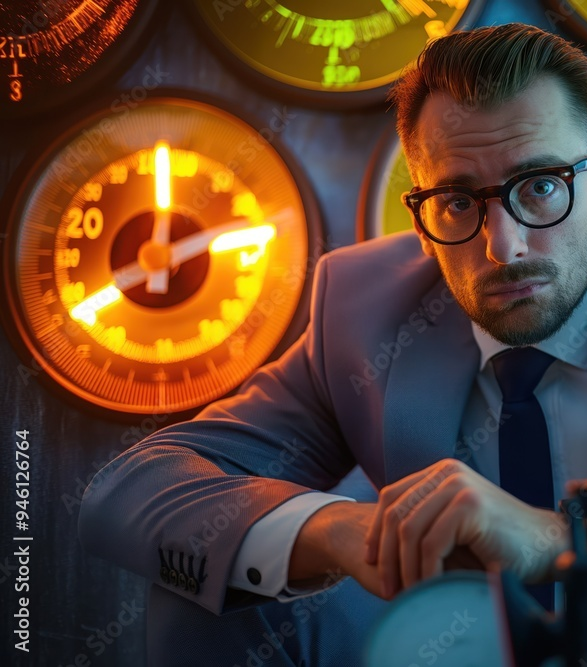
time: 12:13
